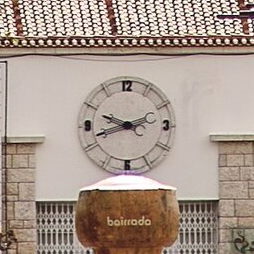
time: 9:42
